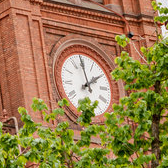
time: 1:59
